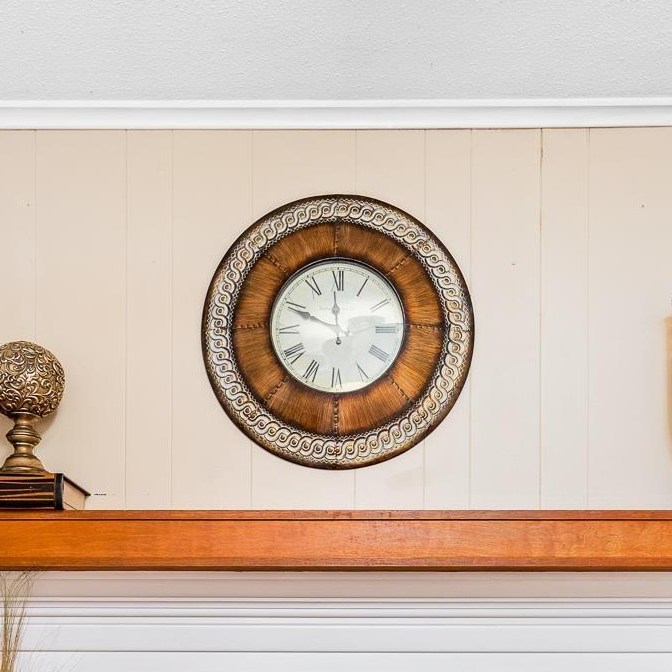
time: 11:49
